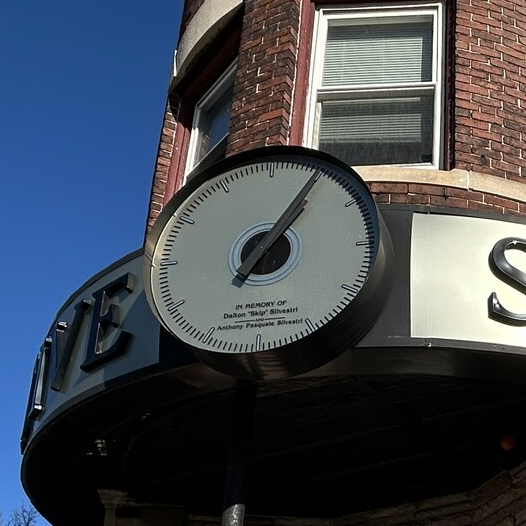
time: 1:05
